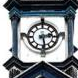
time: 2:28
